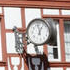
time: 12:57
